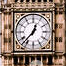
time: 12:37
